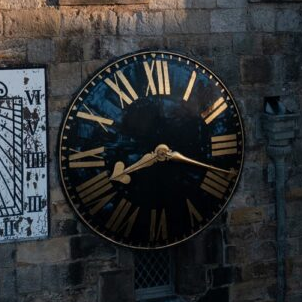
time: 8:18
